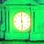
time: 5:59
